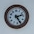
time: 2:25
